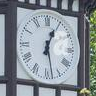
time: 12:28
